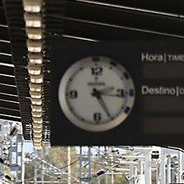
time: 3:25
